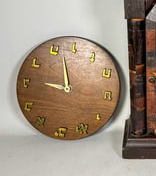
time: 8:57
